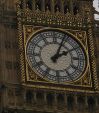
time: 2:03
